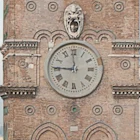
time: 11:45
